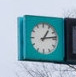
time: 1:13
